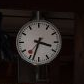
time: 3:33
